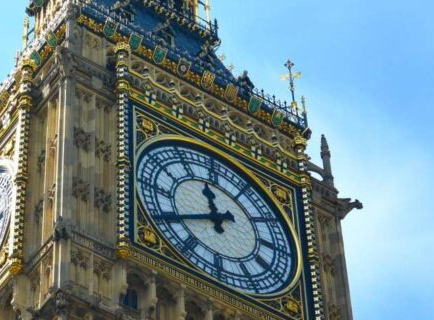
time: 11:40
